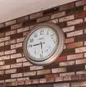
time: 5:44
